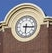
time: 6:15
